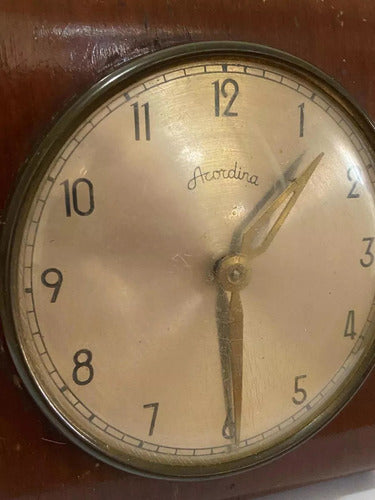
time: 1:29
